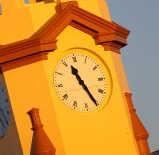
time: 11:25
